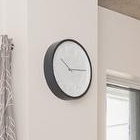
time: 10:14
